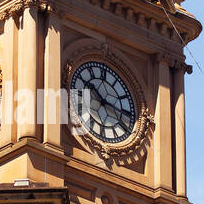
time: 10:16
